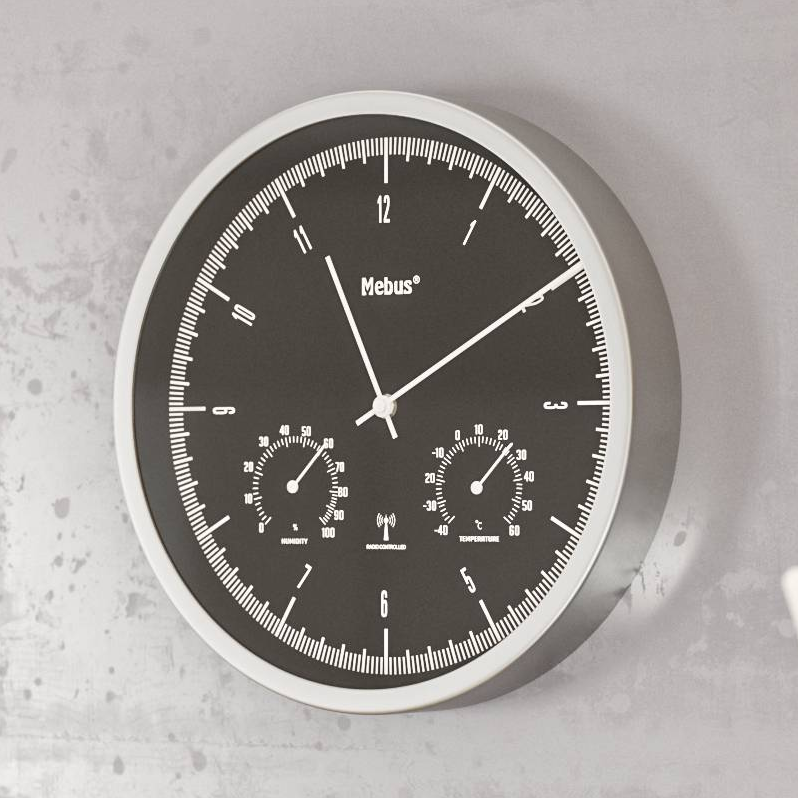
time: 11:09
